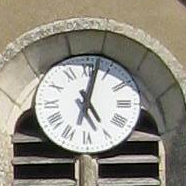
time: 5:02
